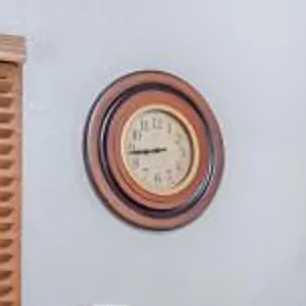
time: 8:43
